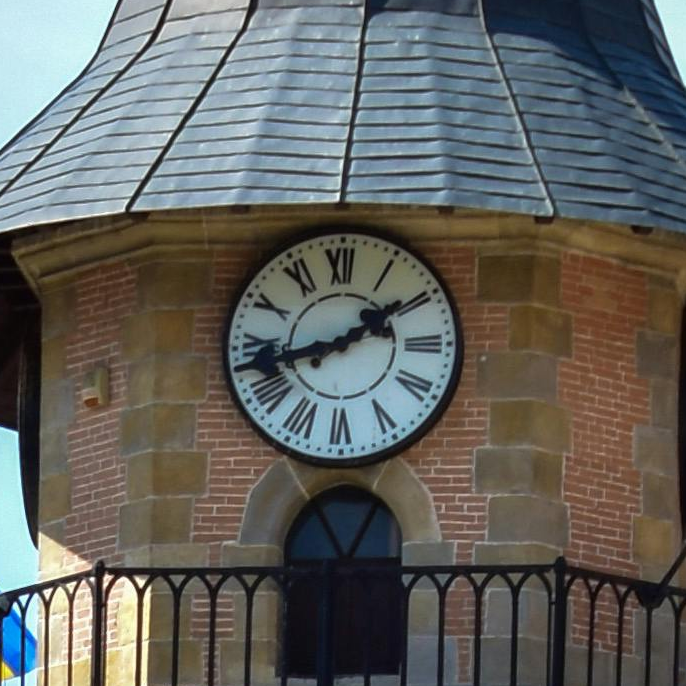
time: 1:43
